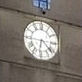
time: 6:21
